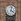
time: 4:02
